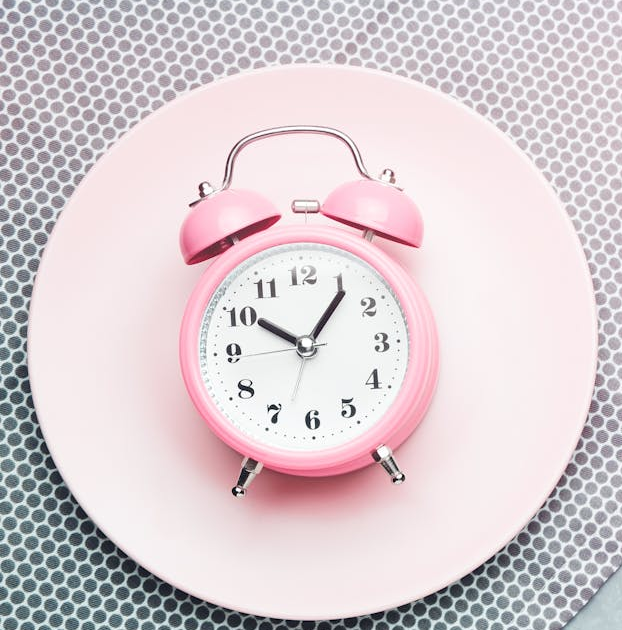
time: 10:06
